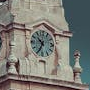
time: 10:34
